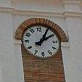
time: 1:09
